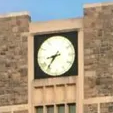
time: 8:36
